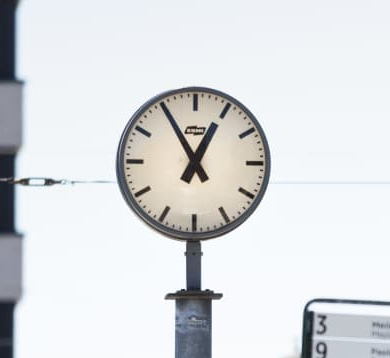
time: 12:55
